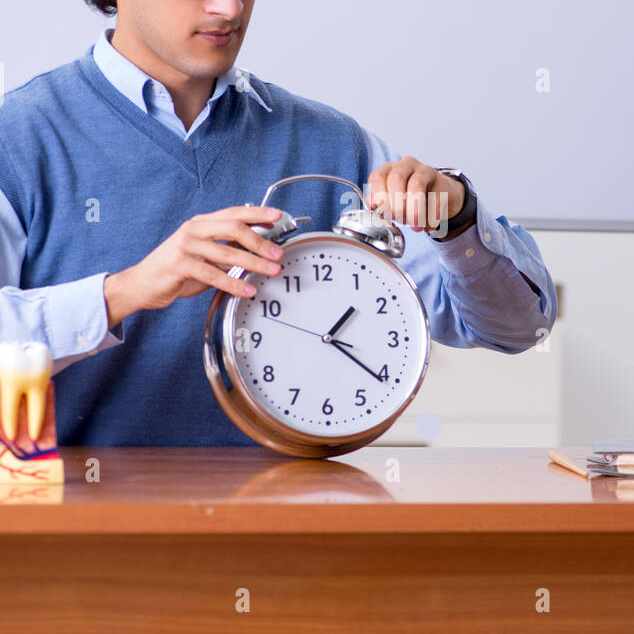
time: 1:20
